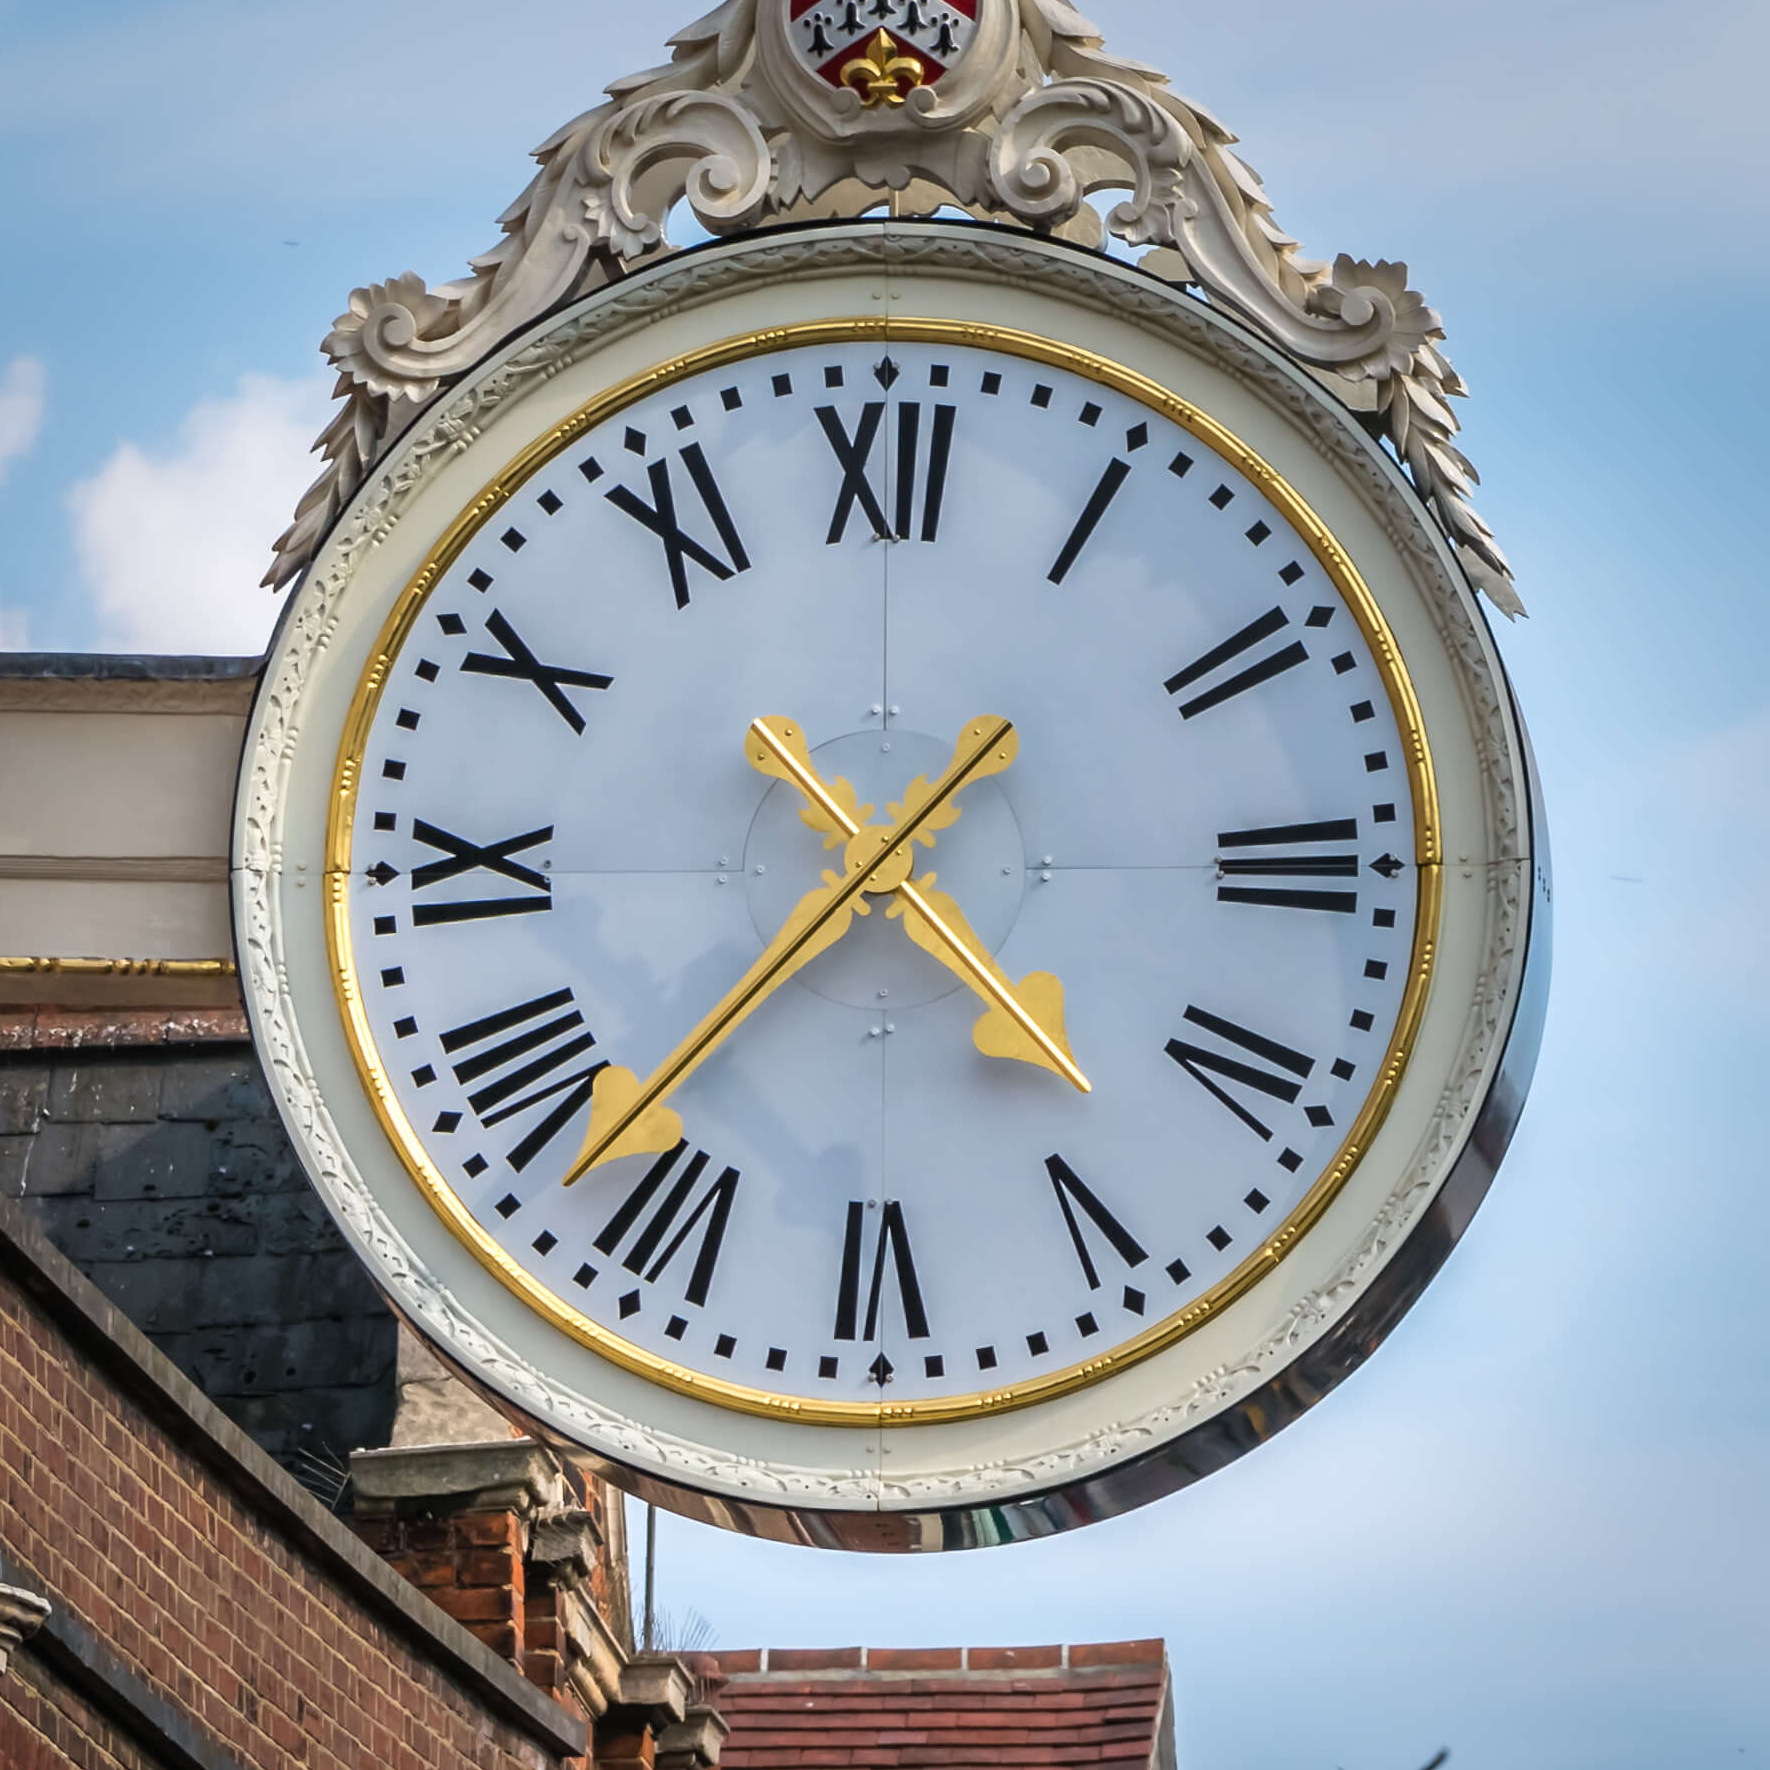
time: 4:37
